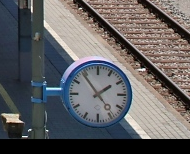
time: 1:53
